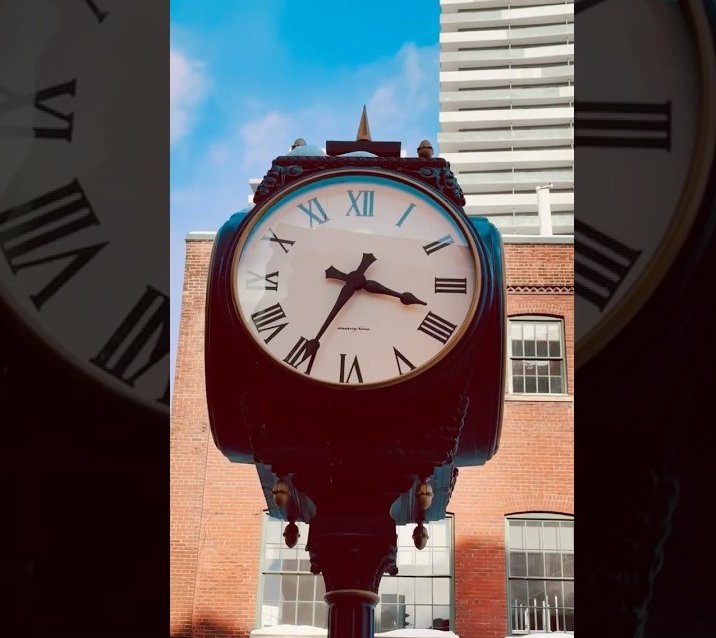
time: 3:34
